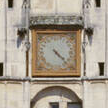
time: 4:22
